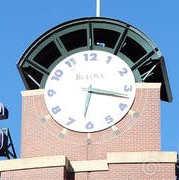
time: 6:17
